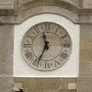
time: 11:34
